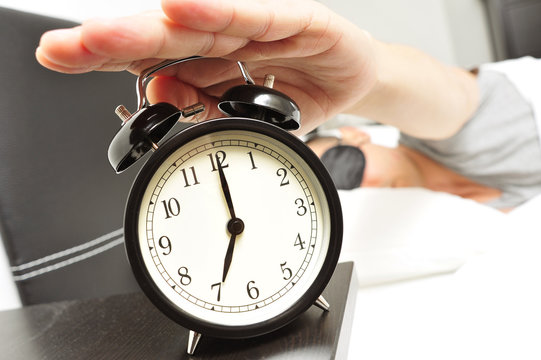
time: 7:00
